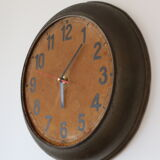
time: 6:06
